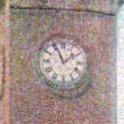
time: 1:56
